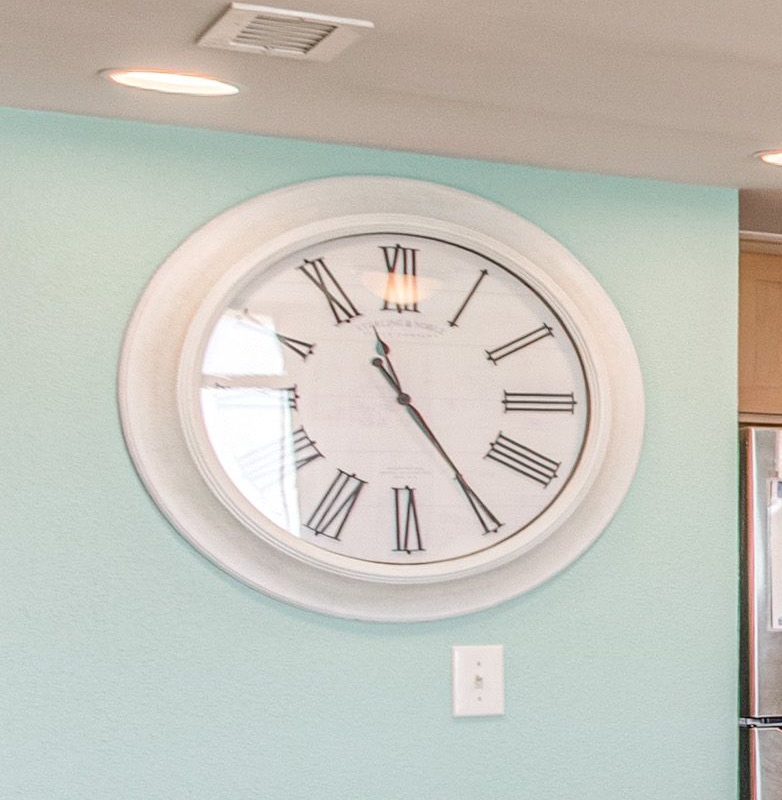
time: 11:24
